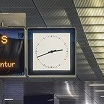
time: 2:41
